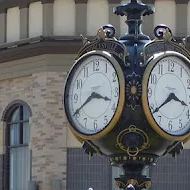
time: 3:40
